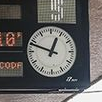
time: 12:48
